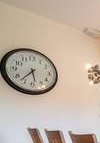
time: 5:37
